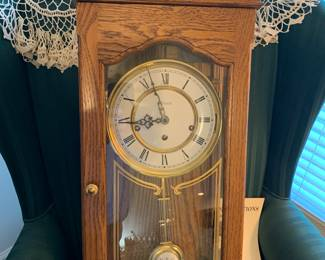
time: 8:56
